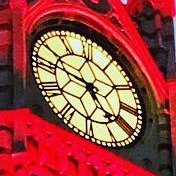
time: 4:46
